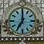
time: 7:00
